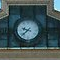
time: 9:38
